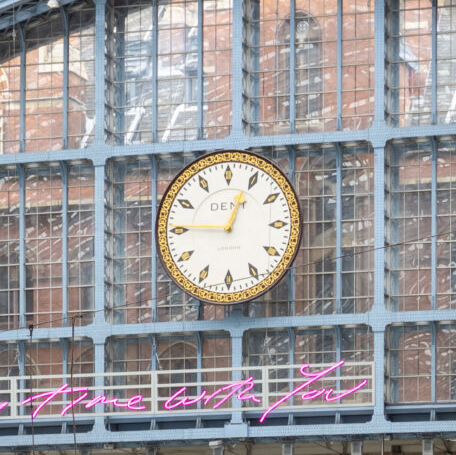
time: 12:45
